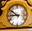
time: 8:51
